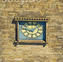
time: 9:07
